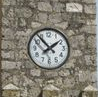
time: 1:53
